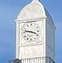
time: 3:47
